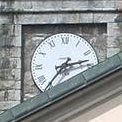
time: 2:36
